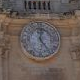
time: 12:24
